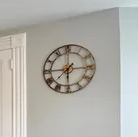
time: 7:30
